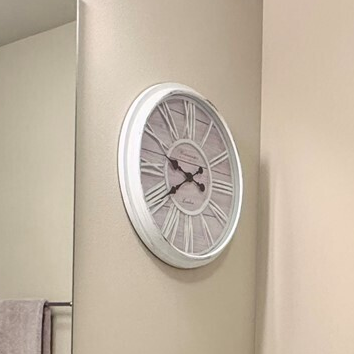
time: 9:40
